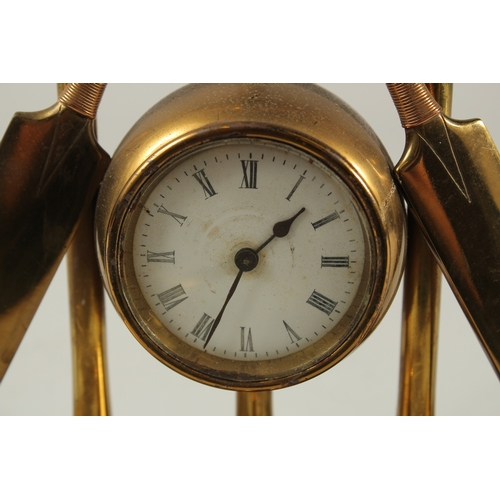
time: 1:34
